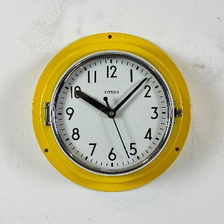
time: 10:07
